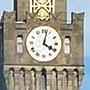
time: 4:02
